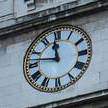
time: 11:46
